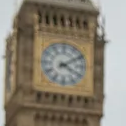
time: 4:09
